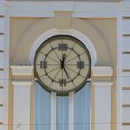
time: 12:25
